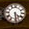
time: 4:28
